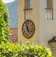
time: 4:57
